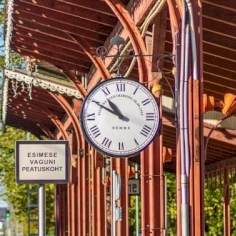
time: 10:49
